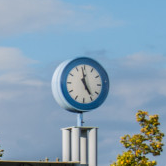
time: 4:58
